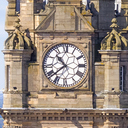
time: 10:38
